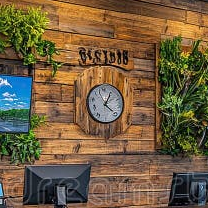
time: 4:04
